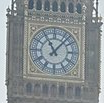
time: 11:07
